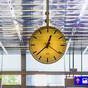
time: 12:37
